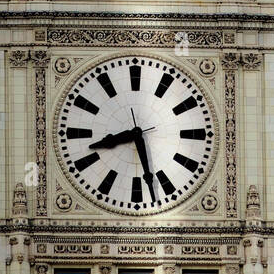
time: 8:27
